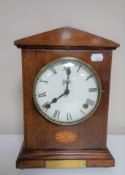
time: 8:01
